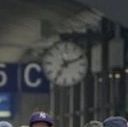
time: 7:11
